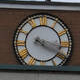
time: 4:18
